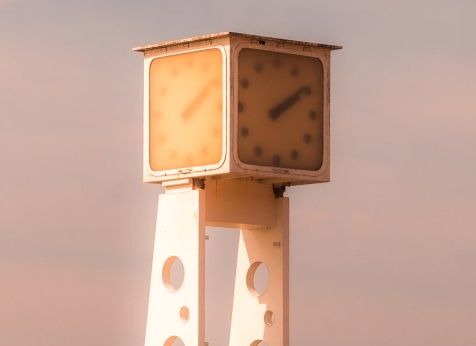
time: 2:09
